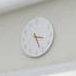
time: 3:26
